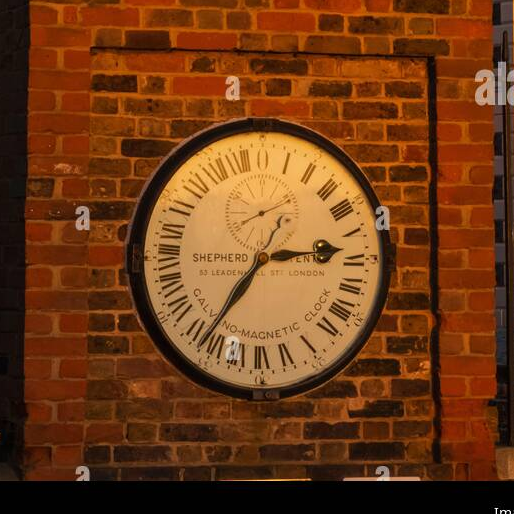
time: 2:36
